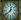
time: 12:38
